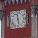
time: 11:28
